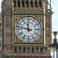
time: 11:47
